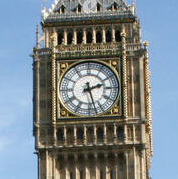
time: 2:27
